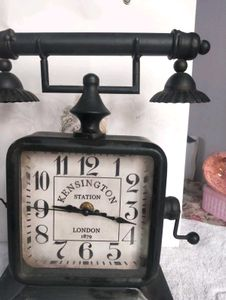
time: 9:17
